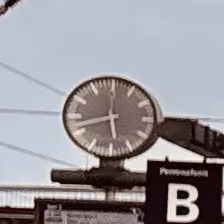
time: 5:42
